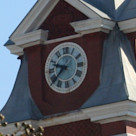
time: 9:38
